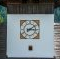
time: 3:09
